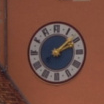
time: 2:09
